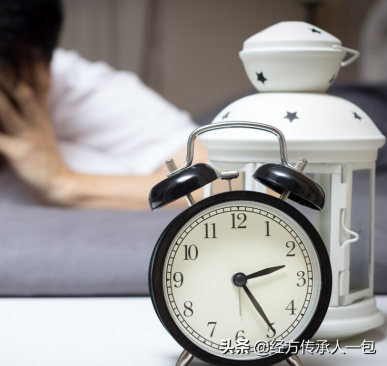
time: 2:24
